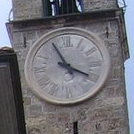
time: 3:55
